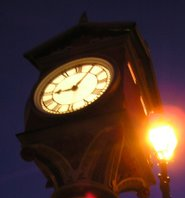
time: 9:05
